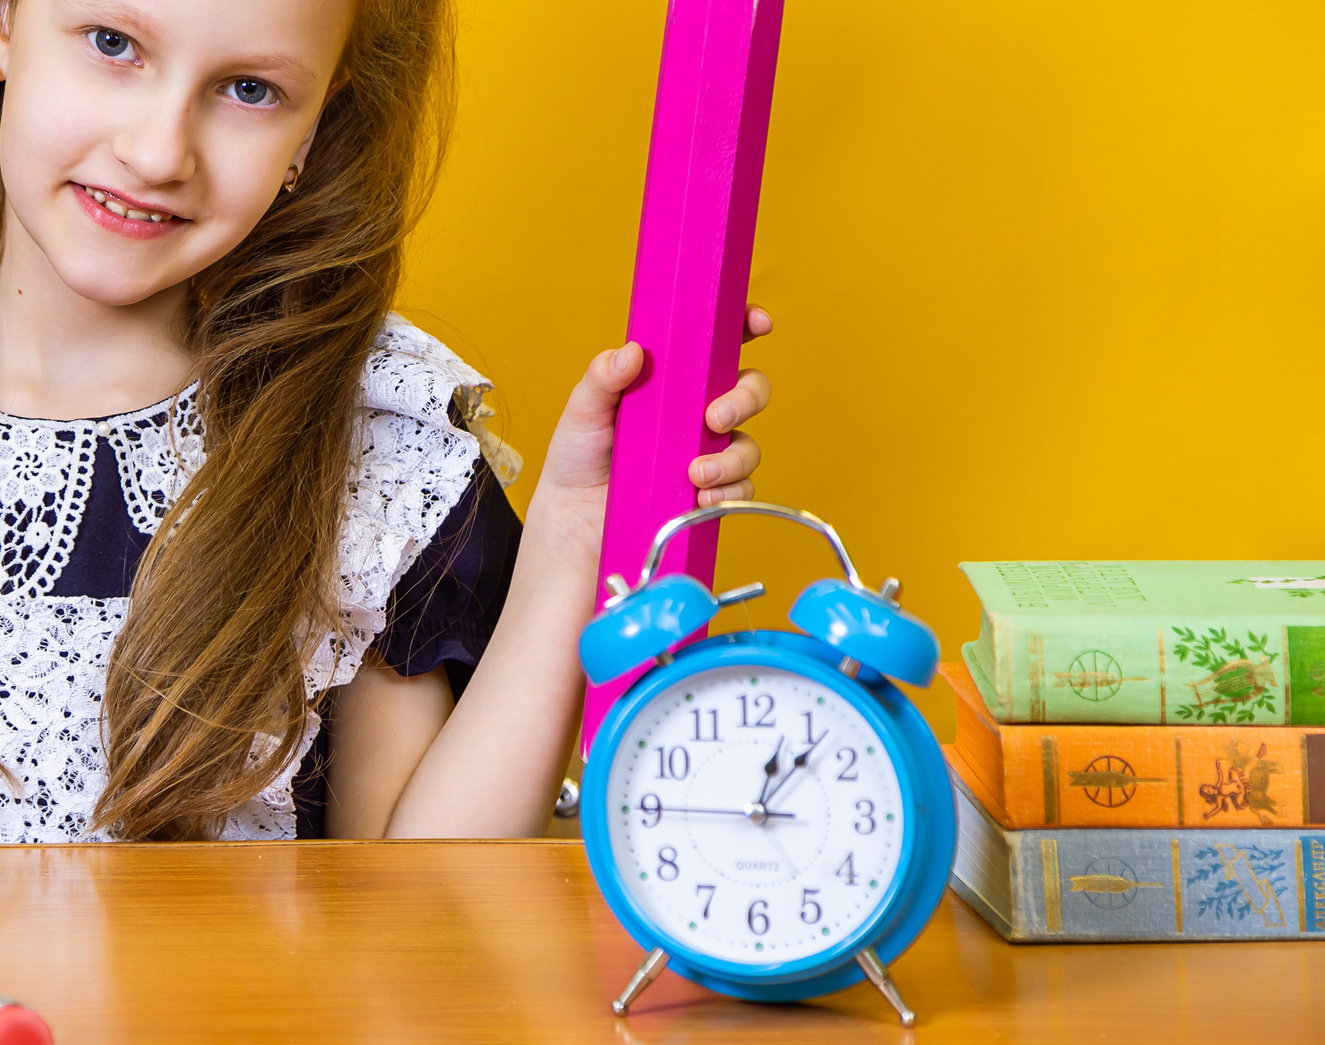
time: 1:07
